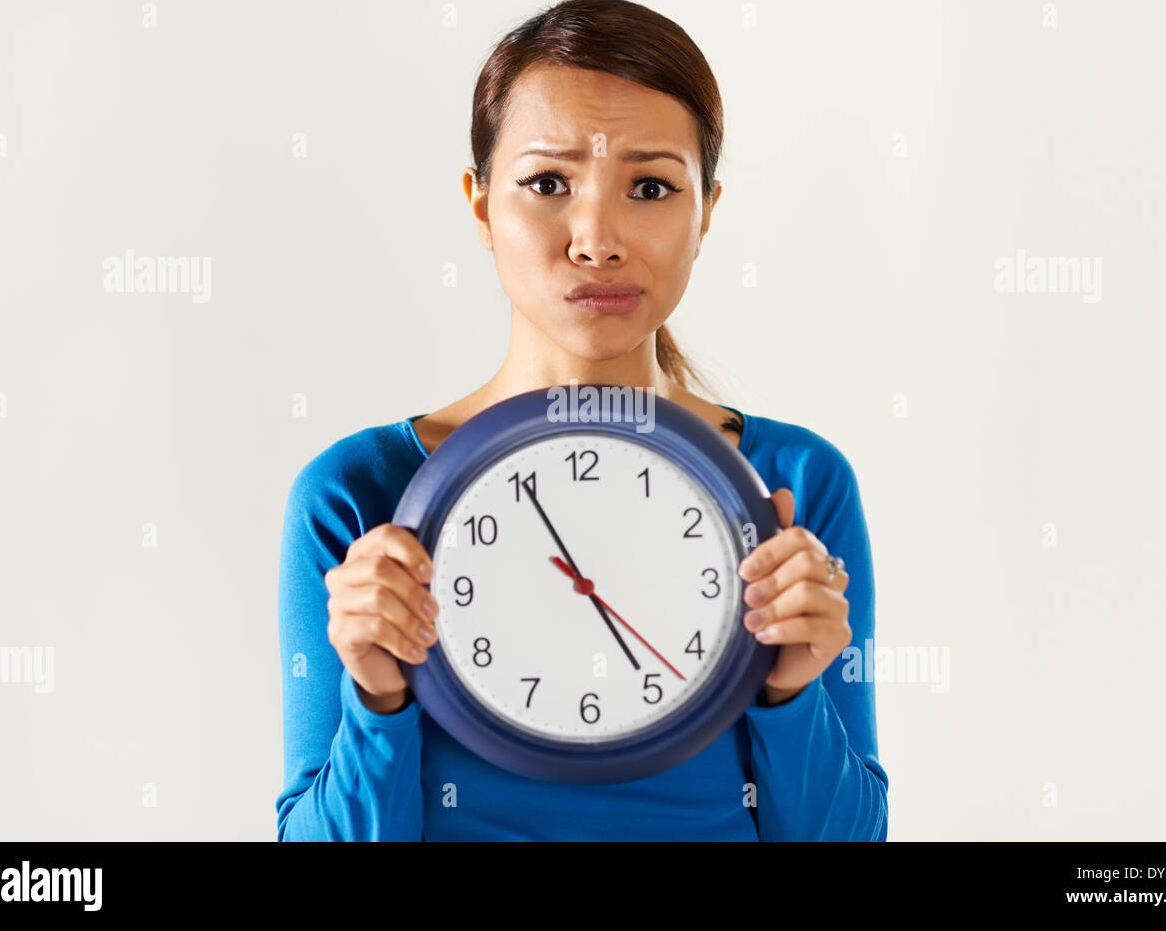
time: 4:55
